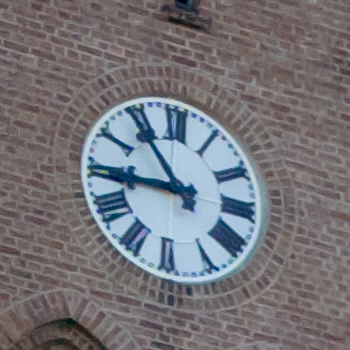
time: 8:53
